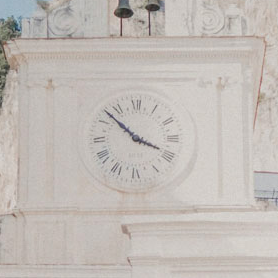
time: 3:52
